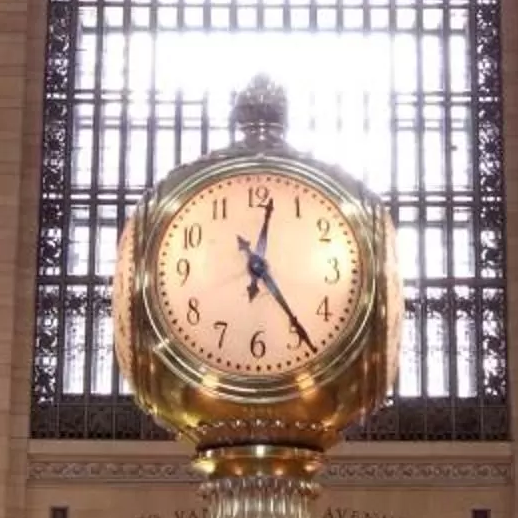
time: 12:23
